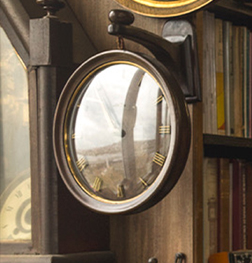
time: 12:28
